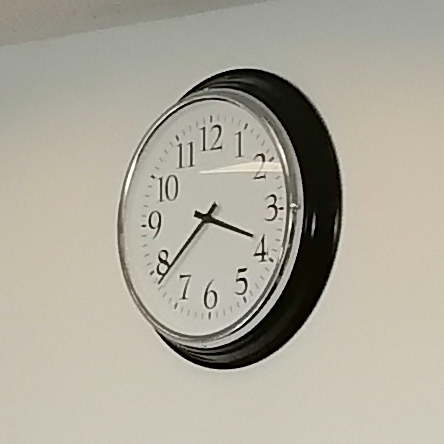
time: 3:39
